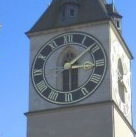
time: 6:08
